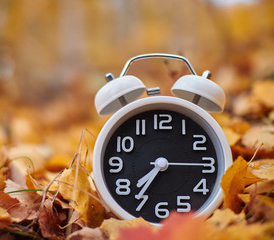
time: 7:36
